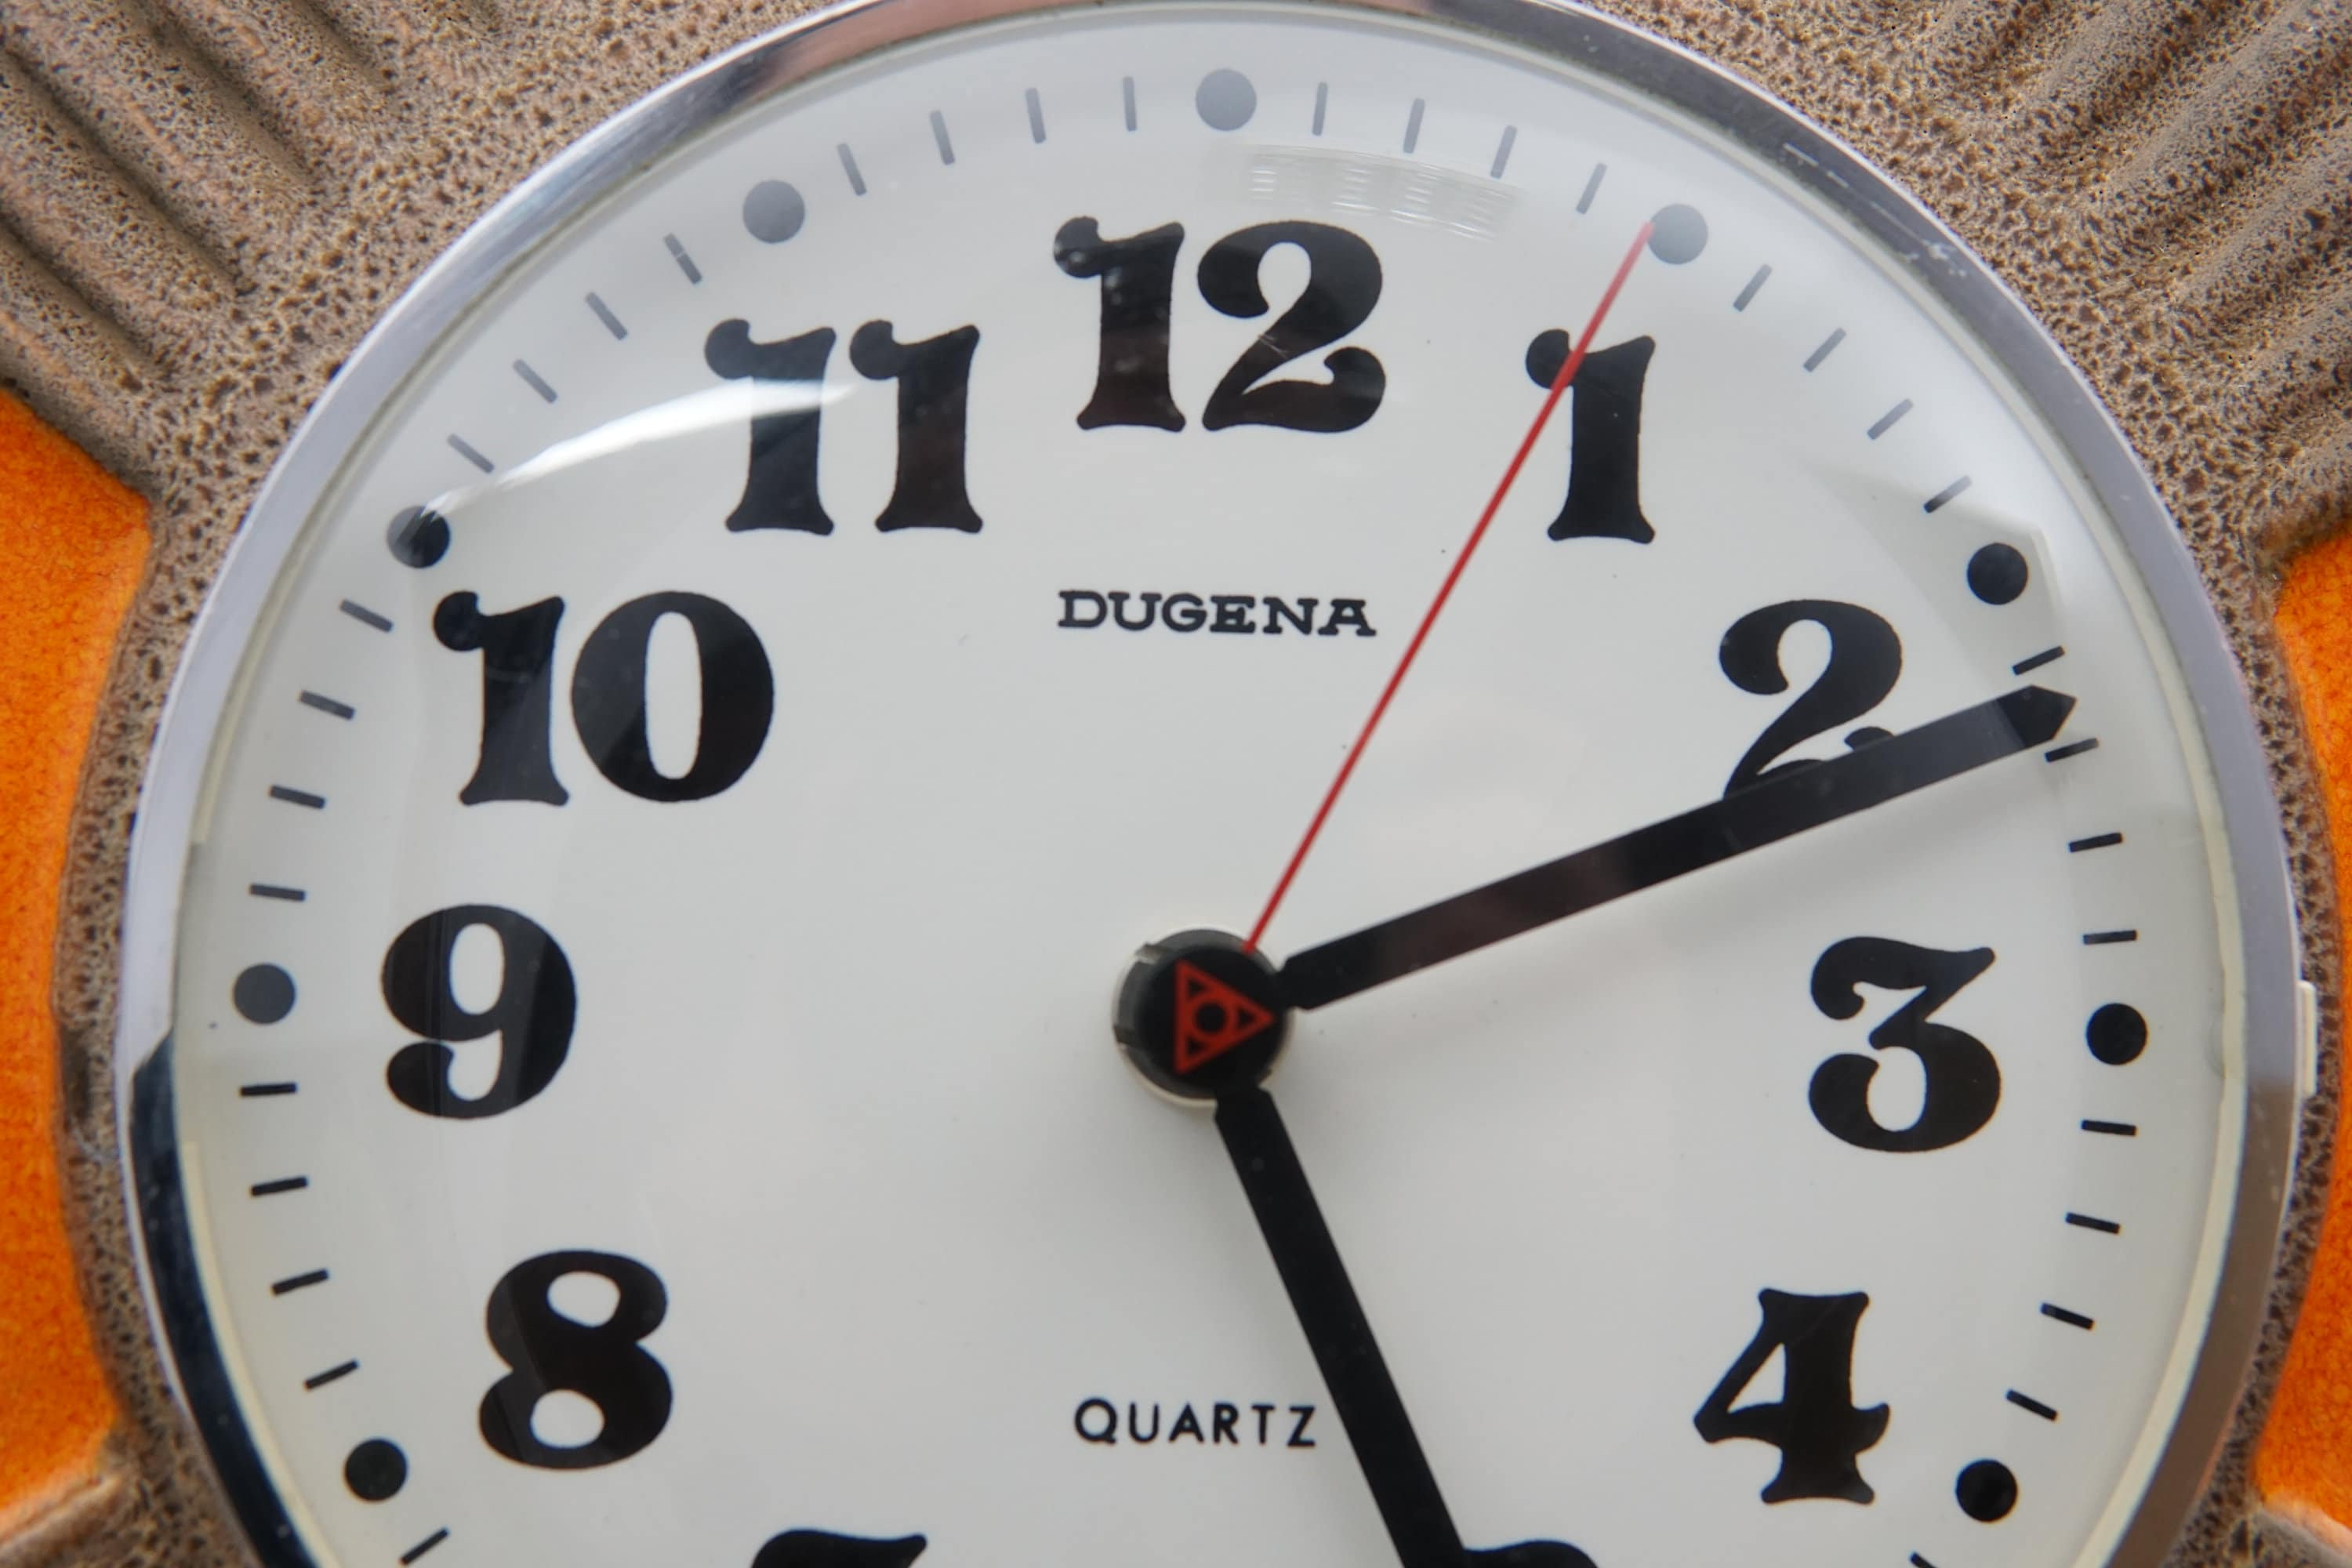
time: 5:11
